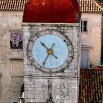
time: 10:34
